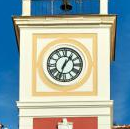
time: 1:33
